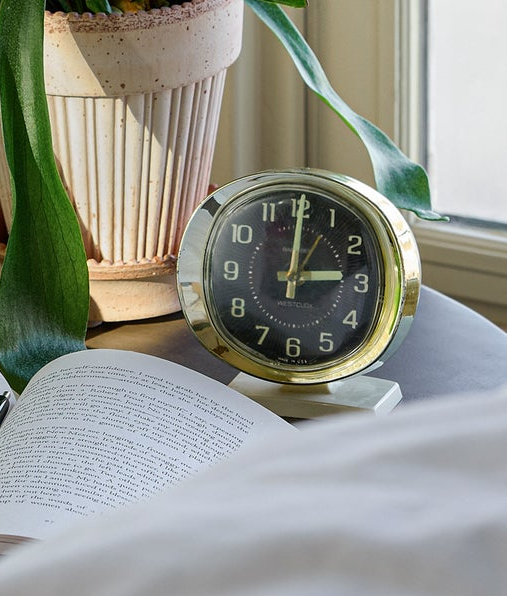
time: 3:00
